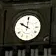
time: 10:00
